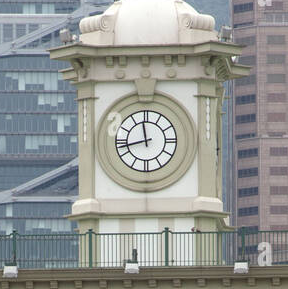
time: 11:42
